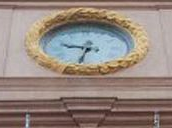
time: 9:33
